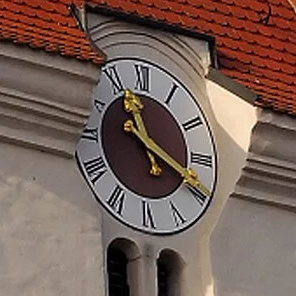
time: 11:19
